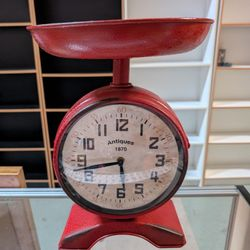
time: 5:42
